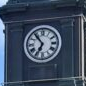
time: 6:53
